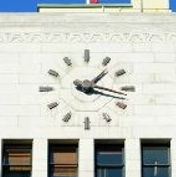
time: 1:18
